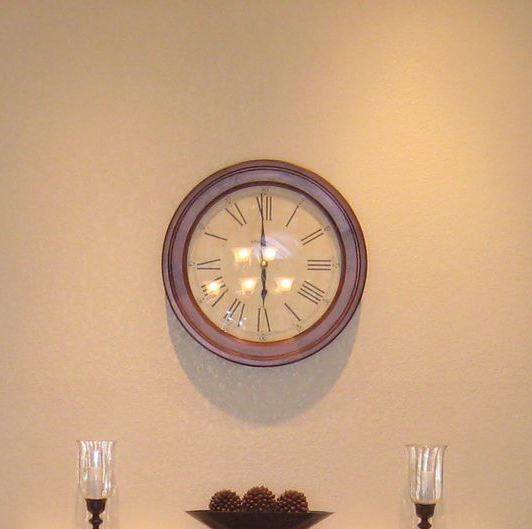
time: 5:59
